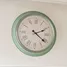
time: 2:21
